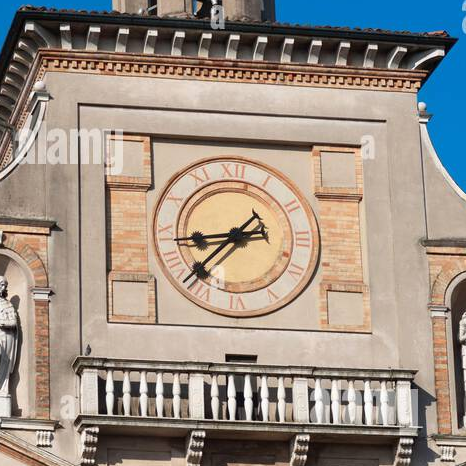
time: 8:37
